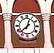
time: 12:37
